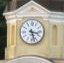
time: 3:27
